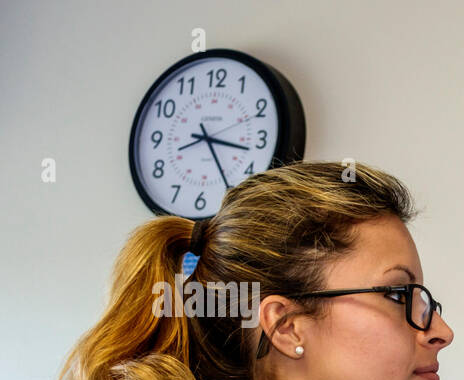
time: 3:24
